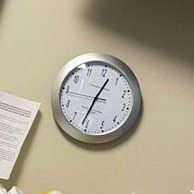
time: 12:31
